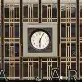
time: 6:04
